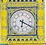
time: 6:19
